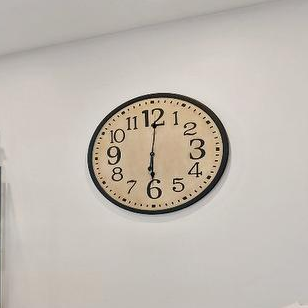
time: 6:00
